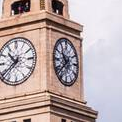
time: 10:37
